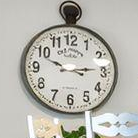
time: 2:48
